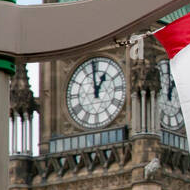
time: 12:59
